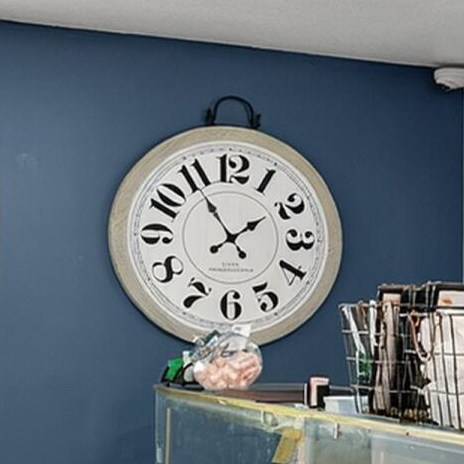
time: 1:54
